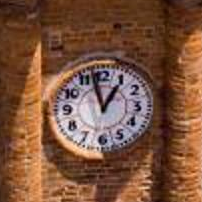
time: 12:57
